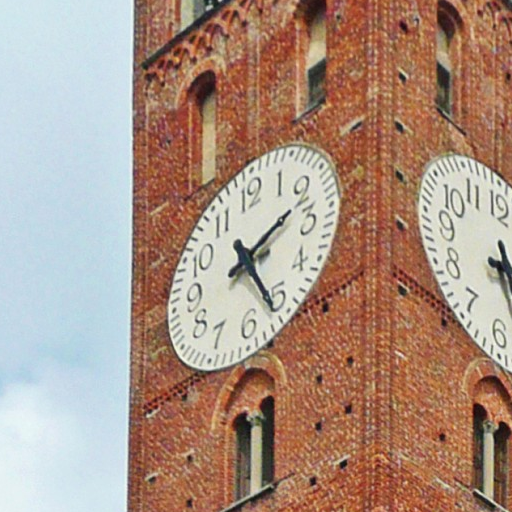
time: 2:25
